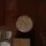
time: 4:52
